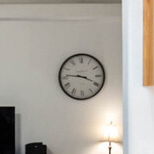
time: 3:46
